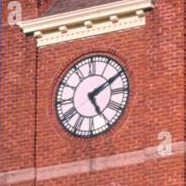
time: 5:10
